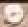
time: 7:13
